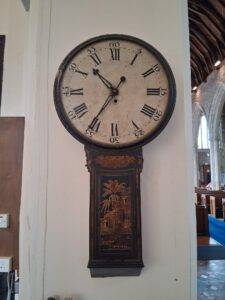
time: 10:35
